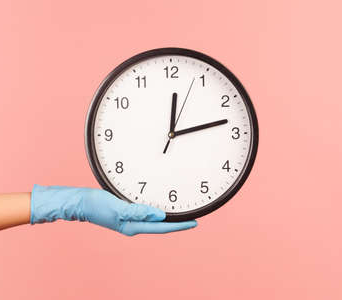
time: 12:12
